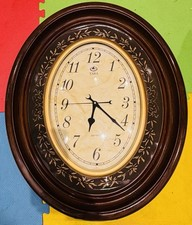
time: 6:21
